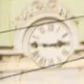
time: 2:46
